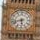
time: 5:42
